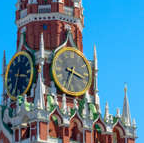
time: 3:34
